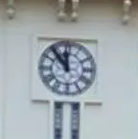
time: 11:53
